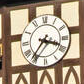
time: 3:36
